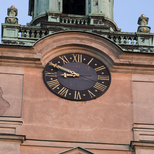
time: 8:48
